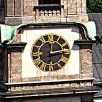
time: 12:13
